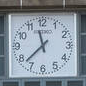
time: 11:37
